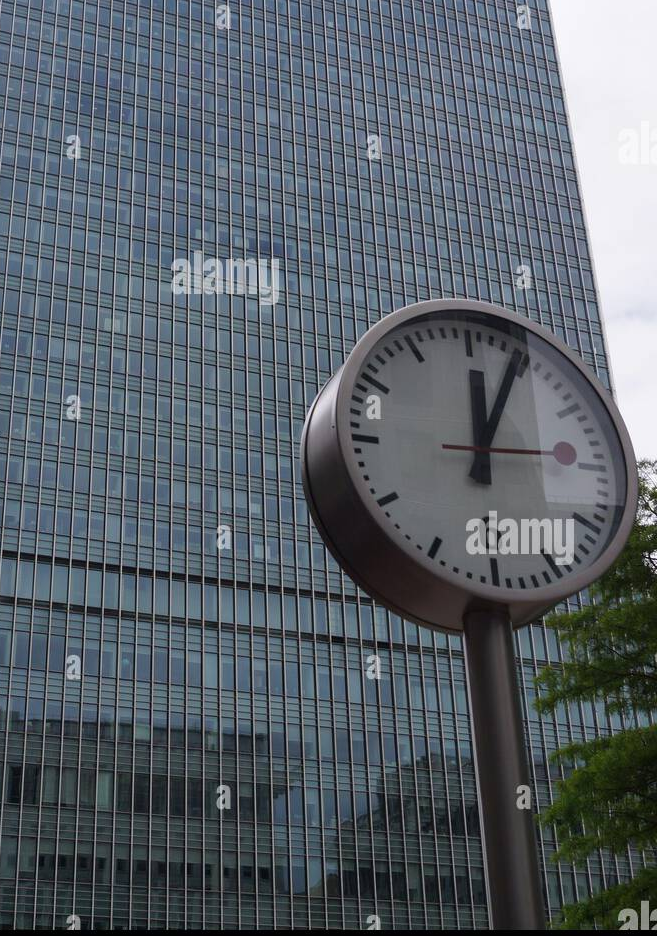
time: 12:04
